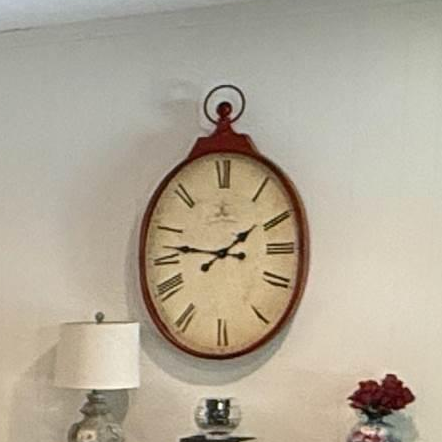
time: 1:46
